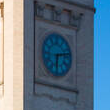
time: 6:13
